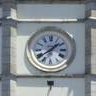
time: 1:38
